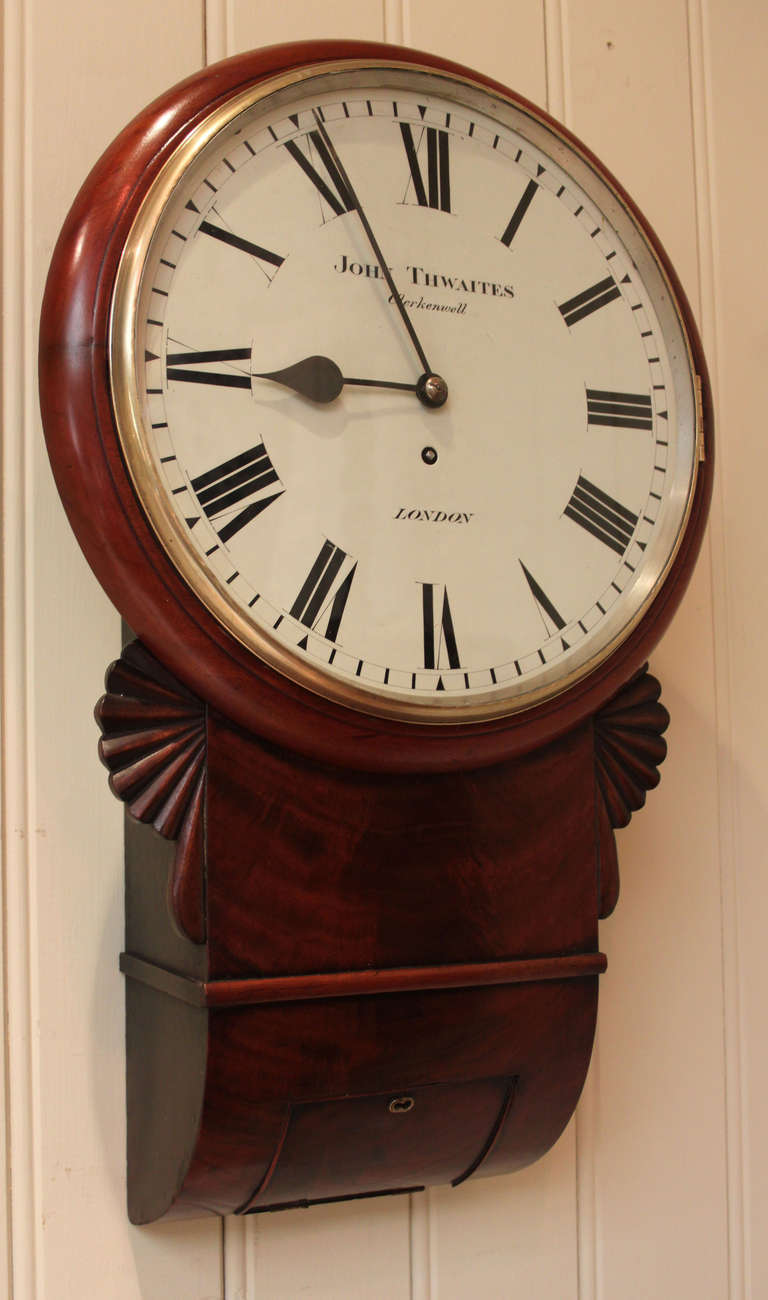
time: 8:55
